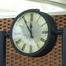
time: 11:55
